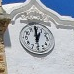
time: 12:59
